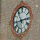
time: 11:13
